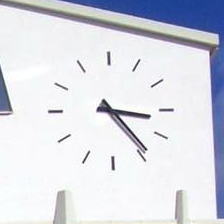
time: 3:23
